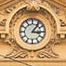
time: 3:06
